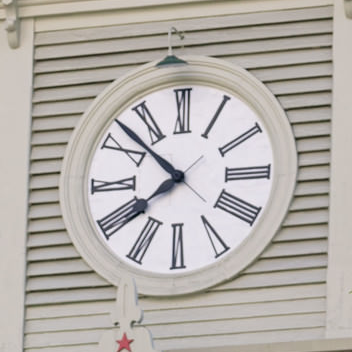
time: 7:52
